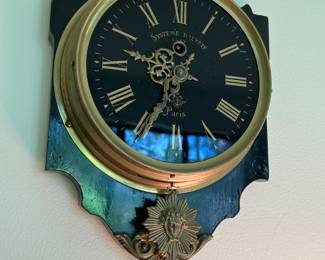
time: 9:34
